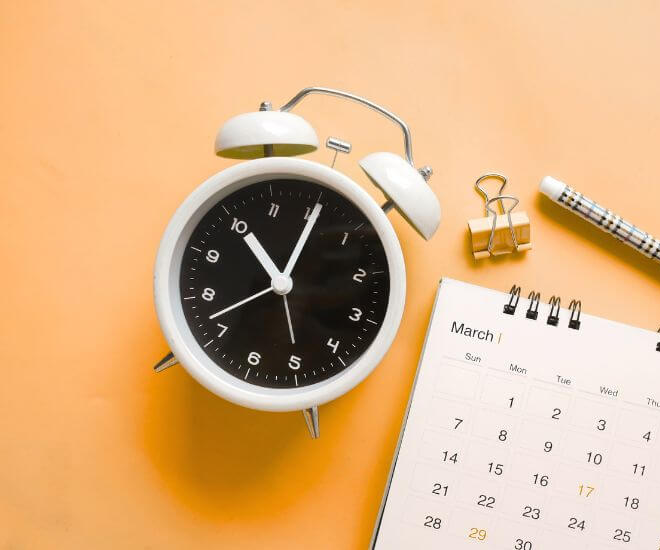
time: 11:05
